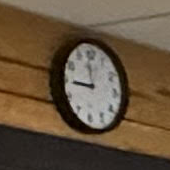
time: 11:44
